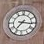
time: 7:16
